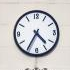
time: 4:35
